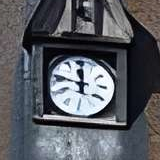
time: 11:47
